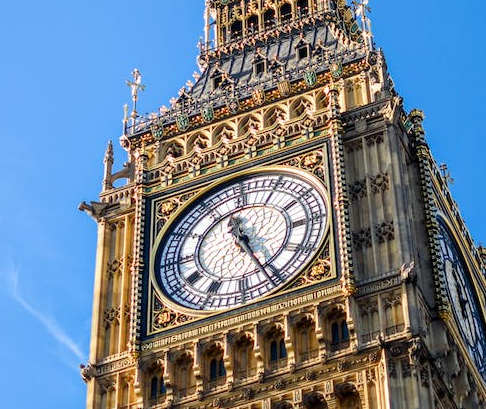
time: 11:25
